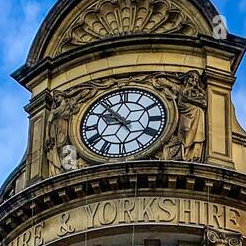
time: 9:53
